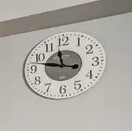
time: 11:47
